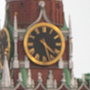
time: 4:27
